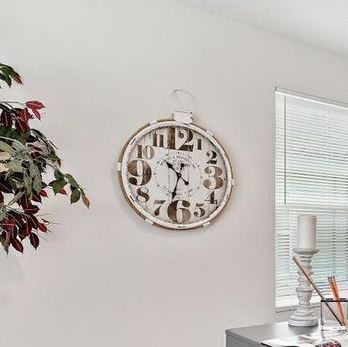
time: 10:32
